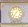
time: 7:07
